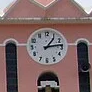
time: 1:13
